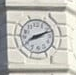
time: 8:11
